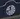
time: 11:41
